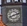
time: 8:12
